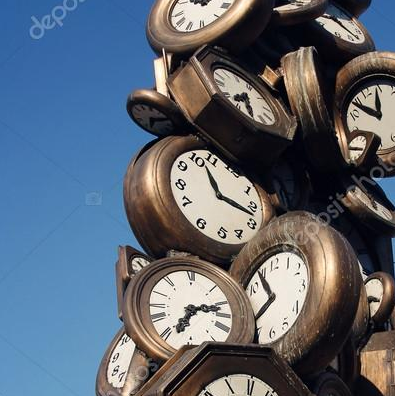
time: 11:17
